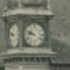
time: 9:47
